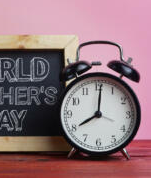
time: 8:01
